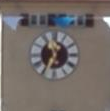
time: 1:34
